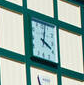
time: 4:01
